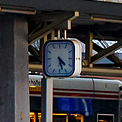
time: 4:27
